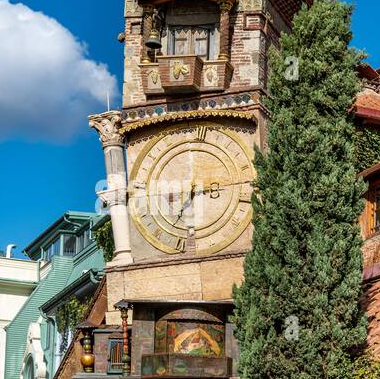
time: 2:33
